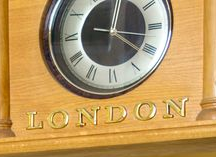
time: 12:21
